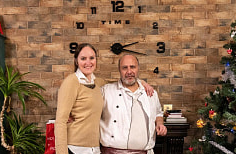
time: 2:17
